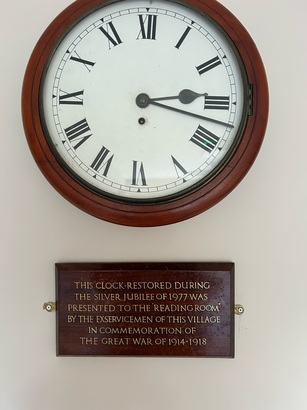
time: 3:17
